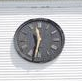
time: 11:32
